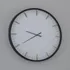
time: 9:40
